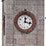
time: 12:16
